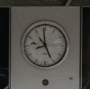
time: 8:25
